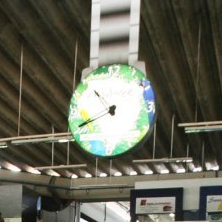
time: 10:41
